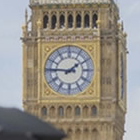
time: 1:46
